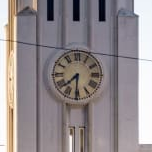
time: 7:30
